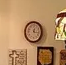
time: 12:16
